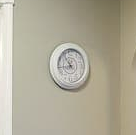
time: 10:43
